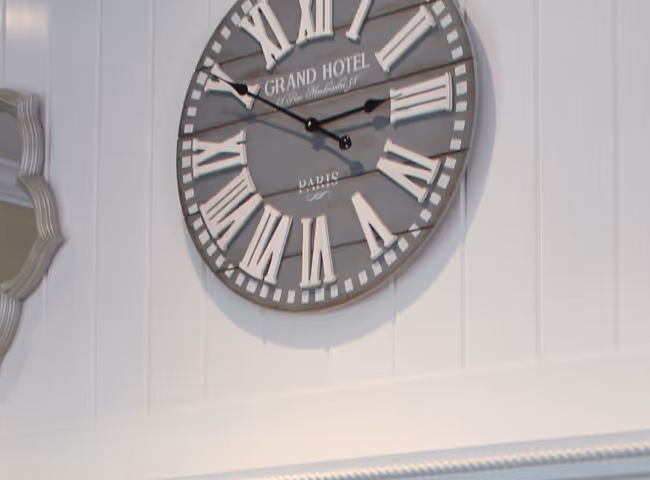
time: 2:50
